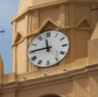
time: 11:45
